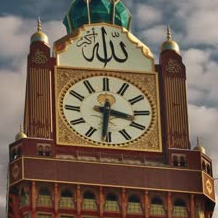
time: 3:31
